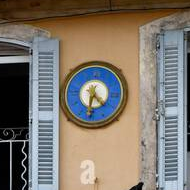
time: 4:31
